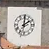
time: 2:00
